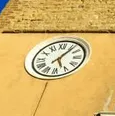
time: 5:06
